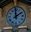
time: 1:59
